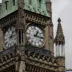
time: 1:16
